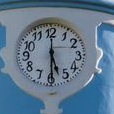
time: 5:29
